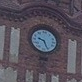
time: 9:26
